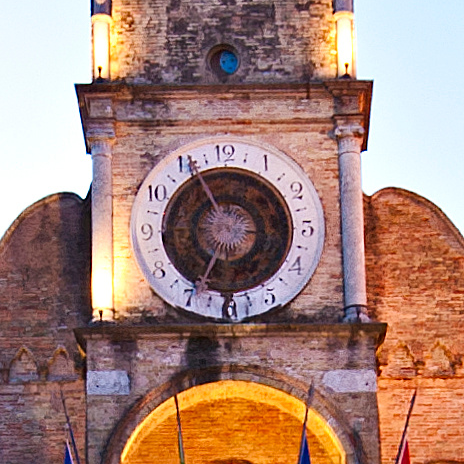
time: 6:55
